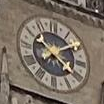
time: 10:20
